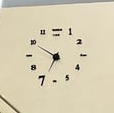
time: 6:49
